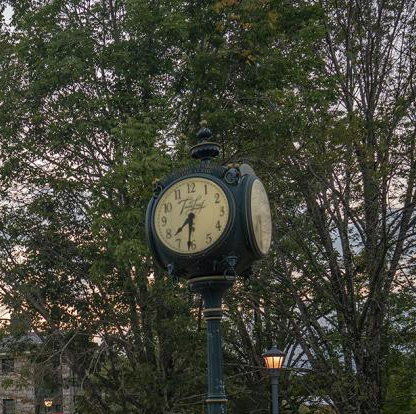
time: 7:31
